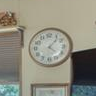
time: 4:07
